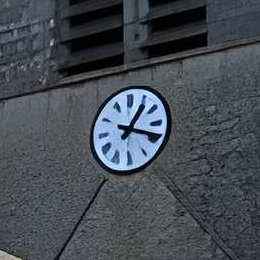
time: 1:18
